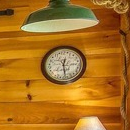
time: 12:28
